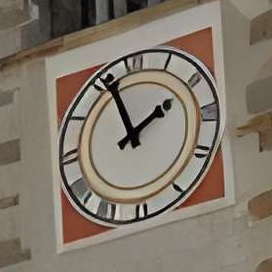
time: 1:56
